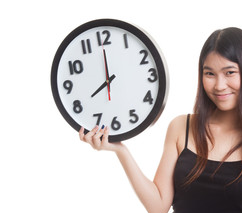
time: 7:59
